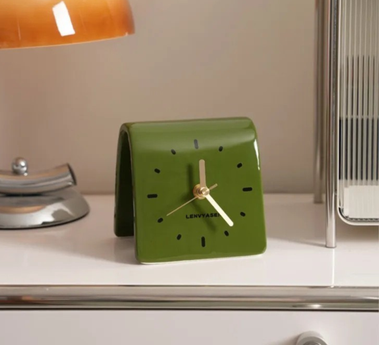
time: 12:23
